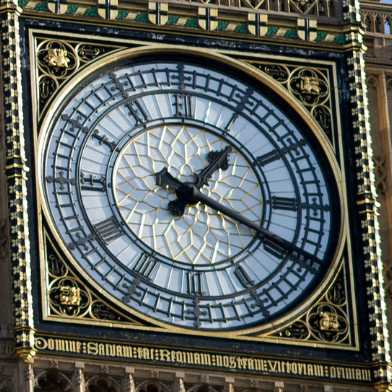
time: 1:18
